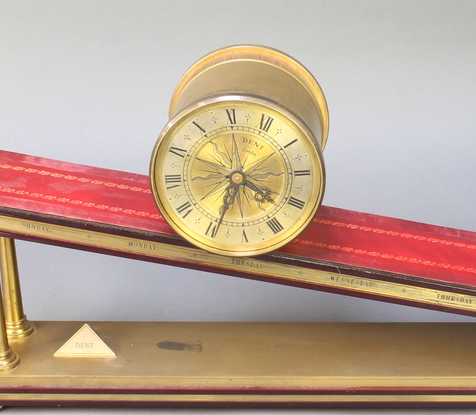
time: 4:34
